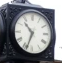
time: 10:33
